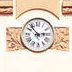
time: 2:53
